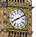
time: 8:10
